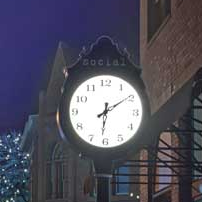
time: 12:09
